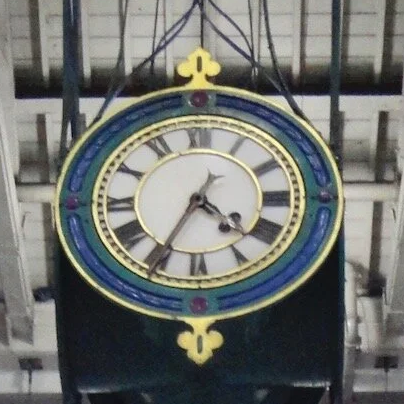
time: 4:34
